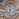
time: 11:32
